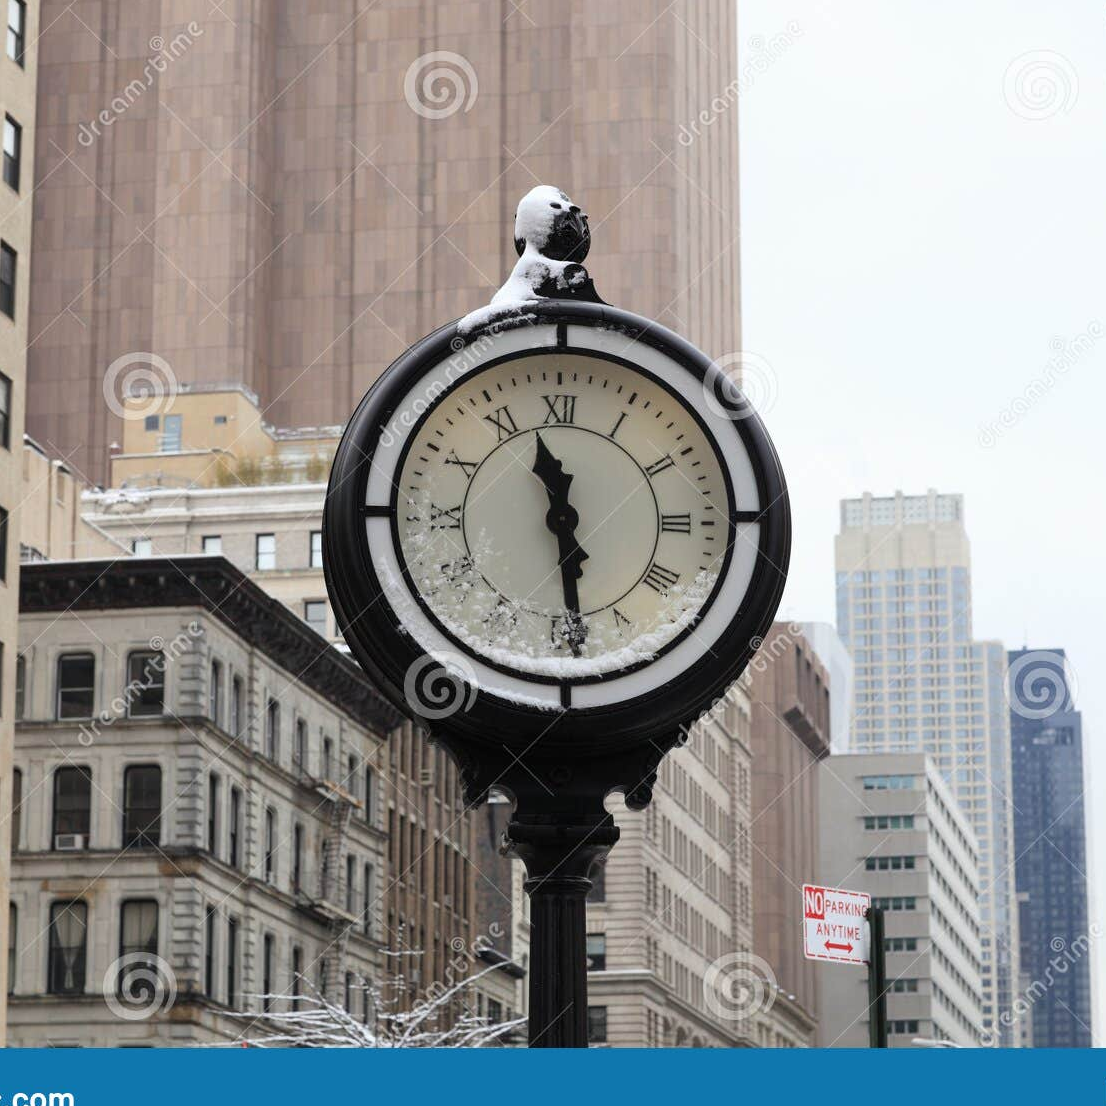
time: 11:29
